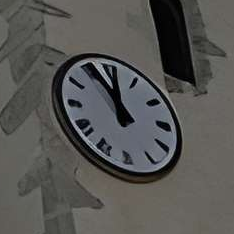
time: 11:55
